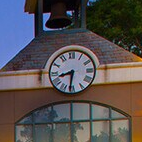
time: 8:31
